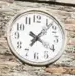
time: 7:07
